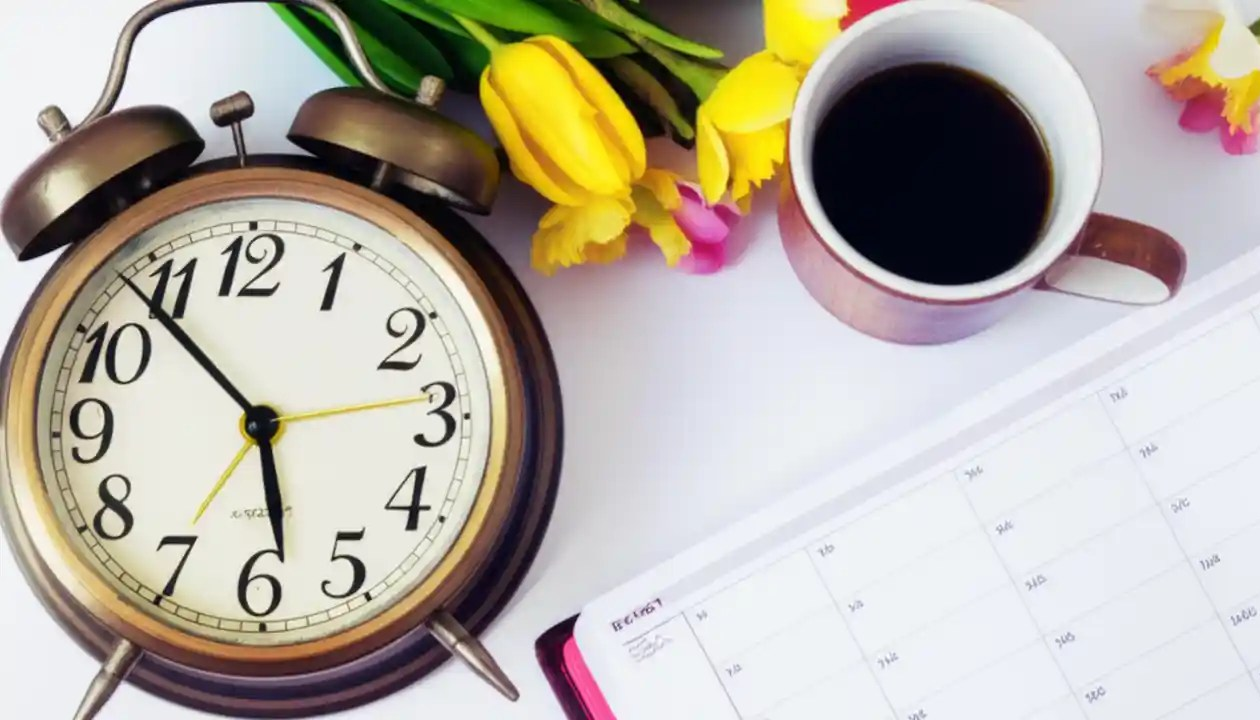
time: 5:53
